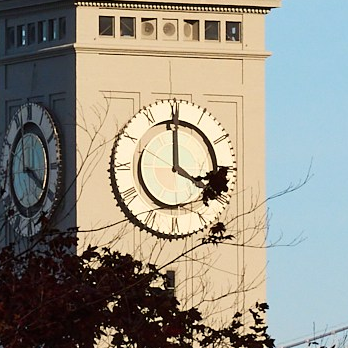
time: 4:00
